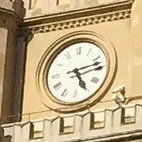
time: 5:12
